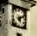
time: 5:11
